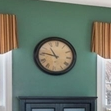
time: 10:46
